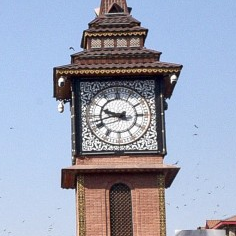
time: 9:42
